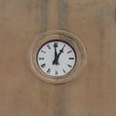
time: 12:59
